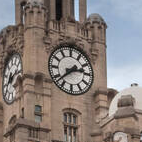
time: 2:38
